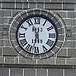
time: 11:32
